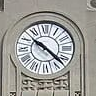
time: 10:22
